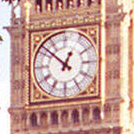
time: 12:52
